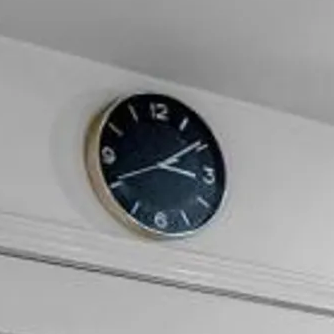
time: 3:08
